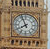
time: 7:55
